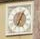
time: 7:03
